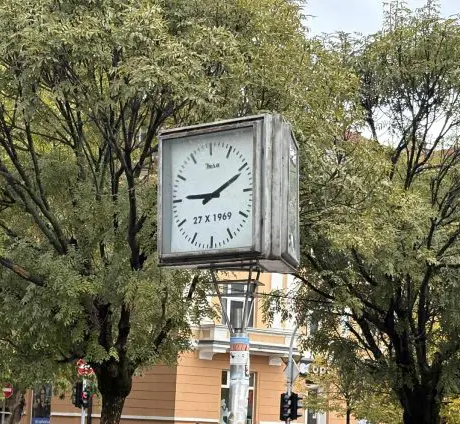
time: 9:11
